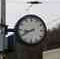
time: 8:40
